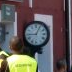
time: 9:04
